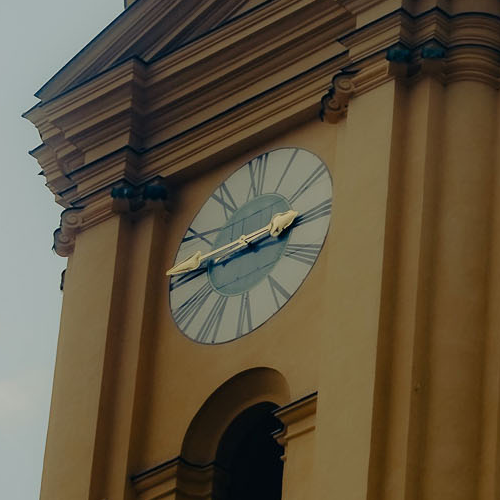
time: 2:44
